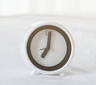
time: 7:00
